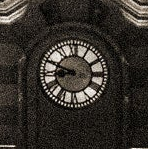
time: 8:48
